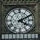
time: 4:10
